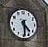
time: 4:29
